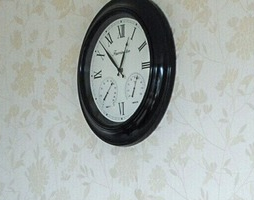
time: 12:52
